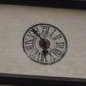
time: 5:53
